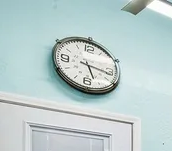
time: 5:16
